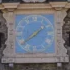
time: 1:38
